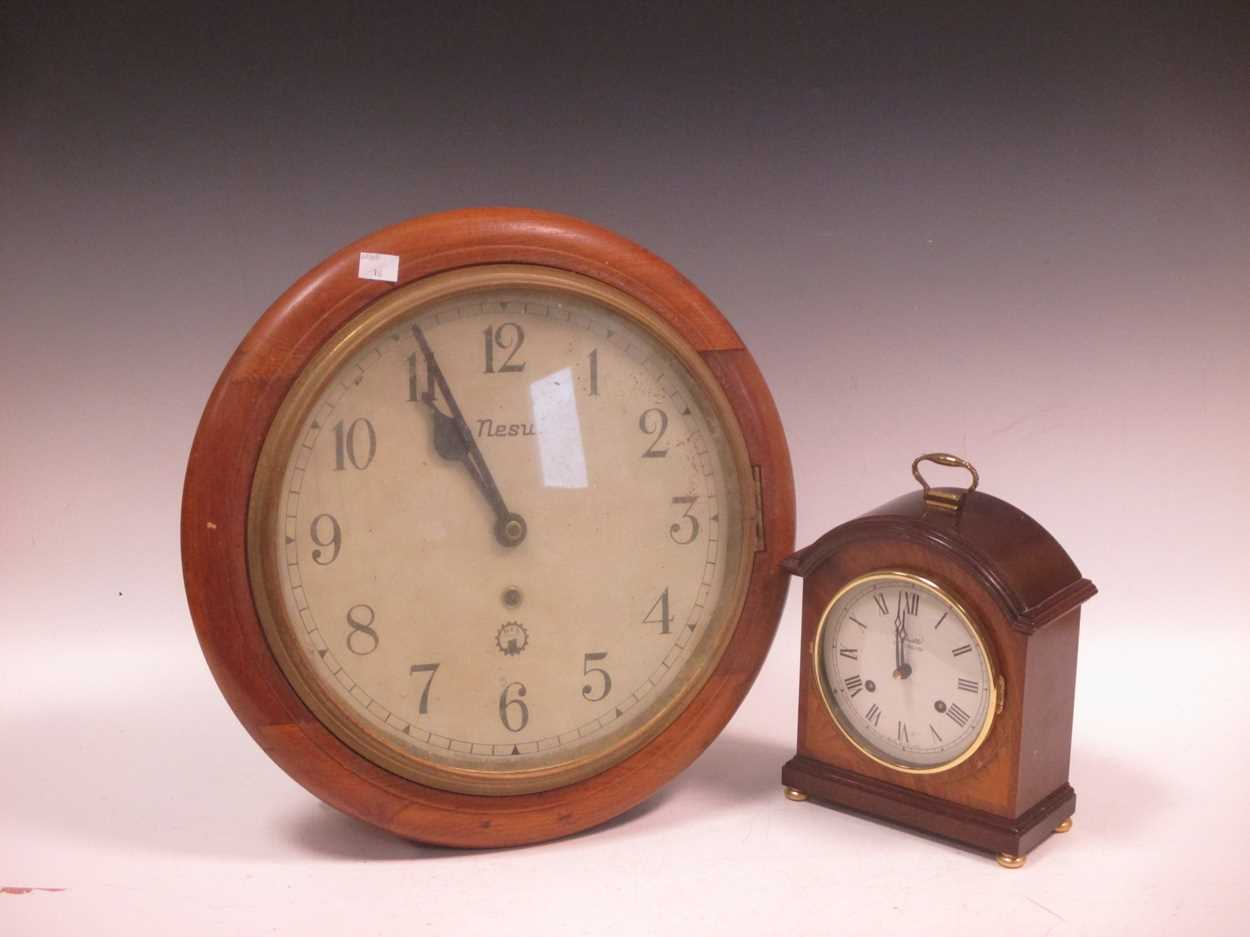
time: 10:55
